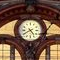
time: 4:40
